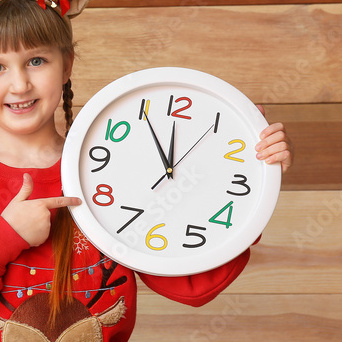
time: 11:54
